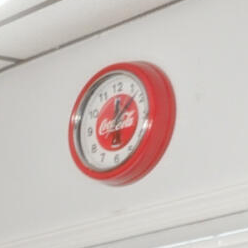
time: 12:07
